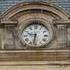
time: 9:32
